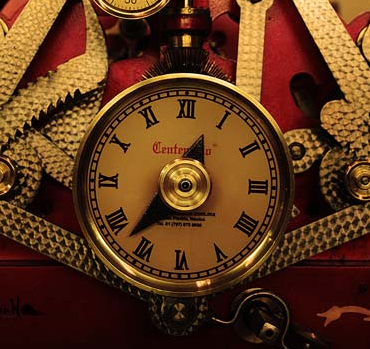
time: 12:36
